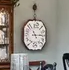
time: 11:13
